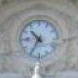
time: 10:35
